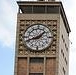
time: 1:41
